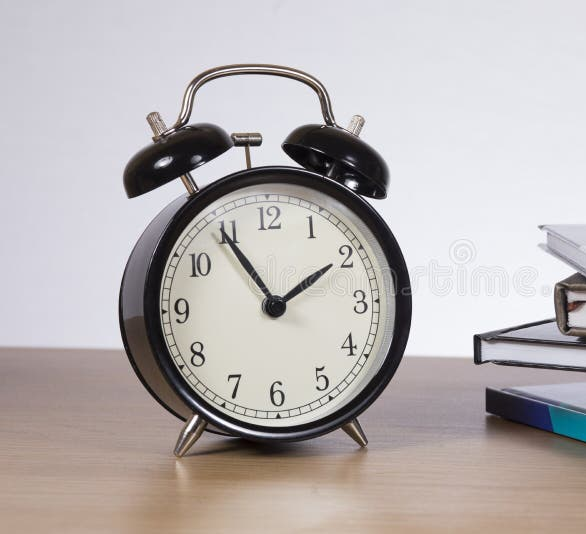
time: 1:54
